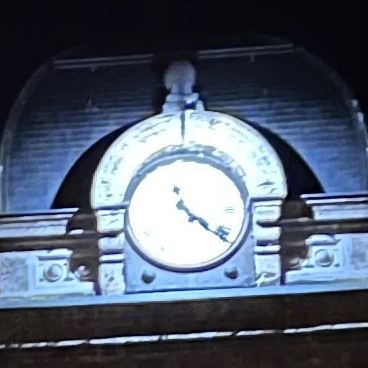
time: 4:21
